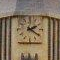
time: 2:21
